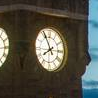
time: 7:55
